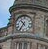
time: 10:35
